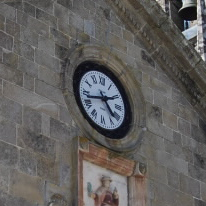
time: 4:42
